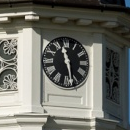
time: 11:28
